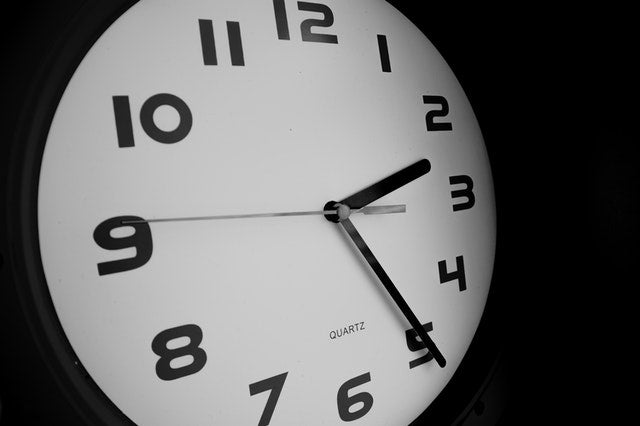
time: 2:24
